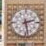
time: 2:28
